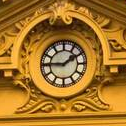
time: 1:45
